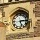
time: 5:14
